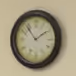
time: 1:53
